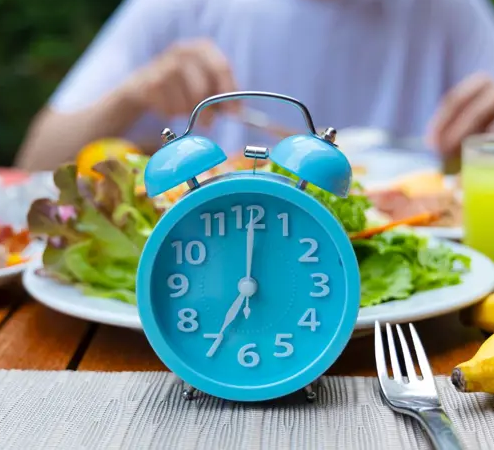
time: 7:00
